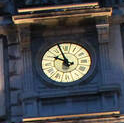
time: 9:56
